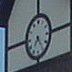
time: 7:24
